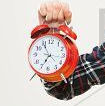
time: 6:55
